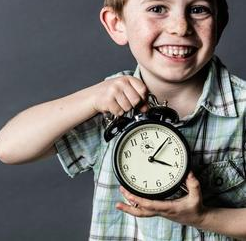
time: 4:09
